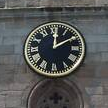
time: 12:09
